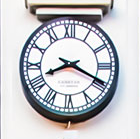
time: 8:19
